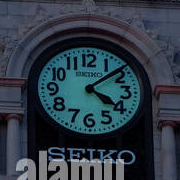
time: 4:08
